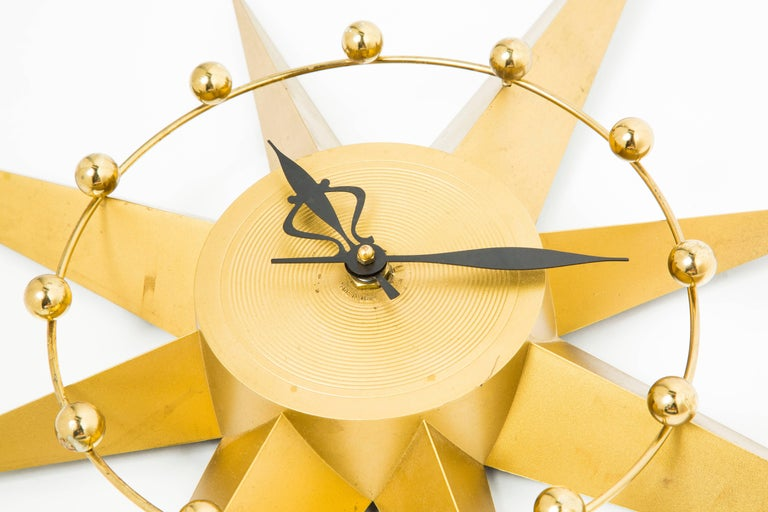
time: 11:14
